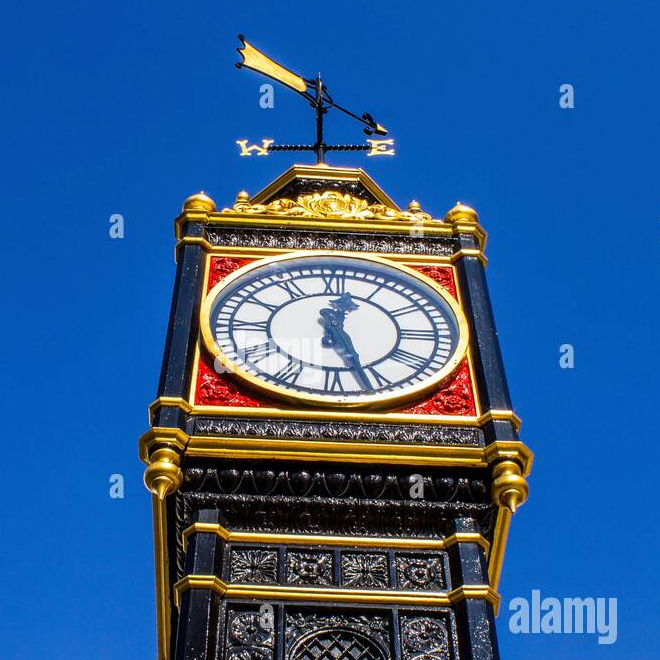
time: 12:26
